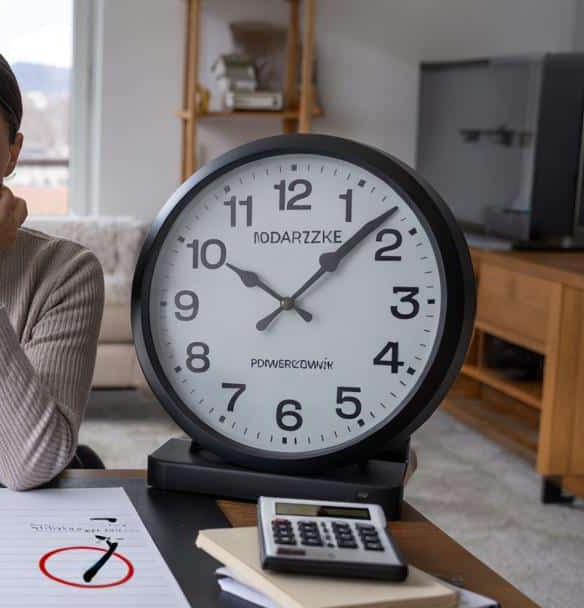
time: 10:07
